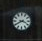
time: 3:40
